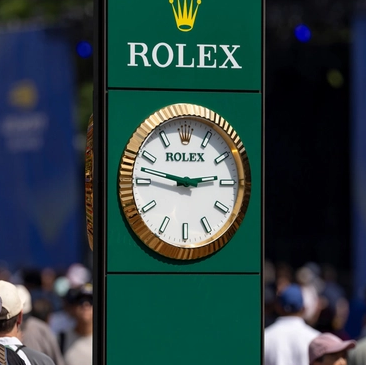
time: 2:47
